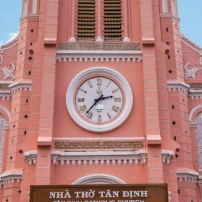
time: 2:36
